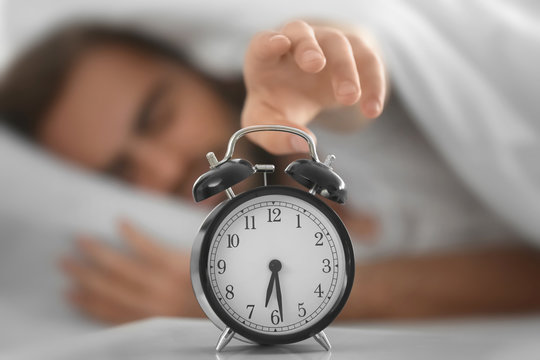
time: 6:28
